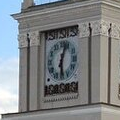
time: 12:28
